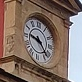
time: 9:22
